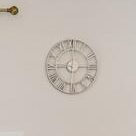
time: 12:14
